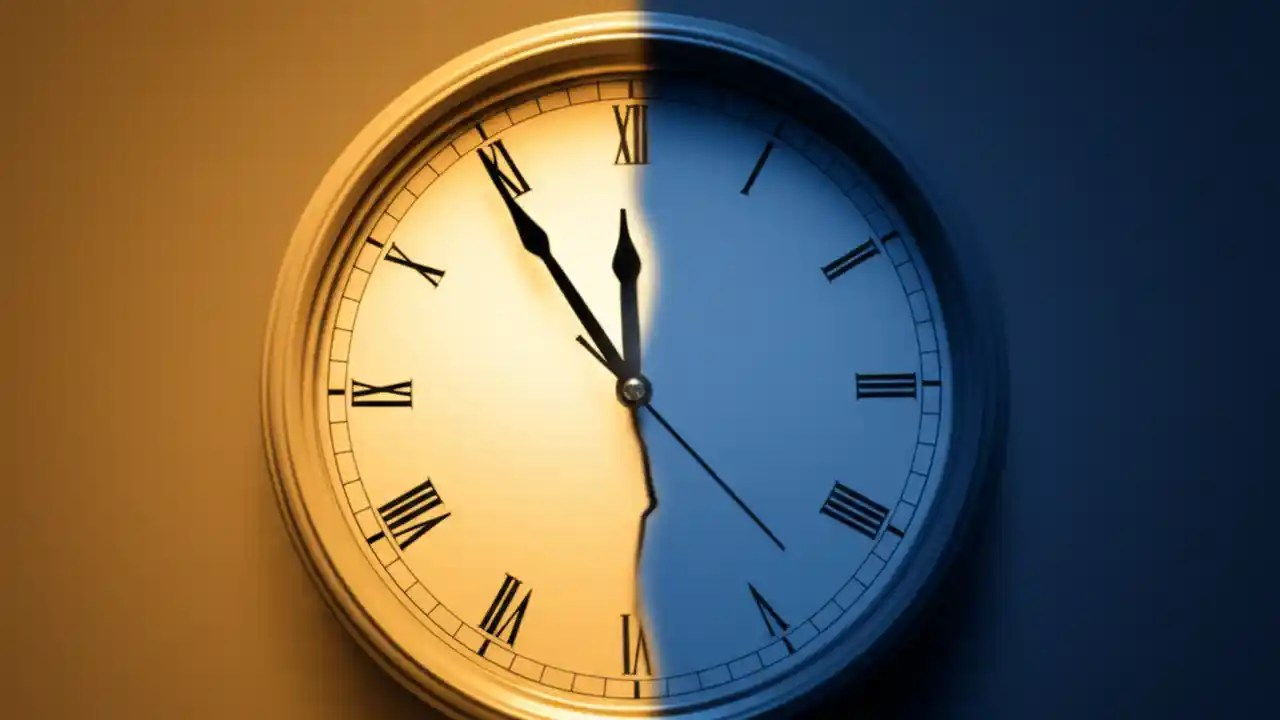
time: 11:54
